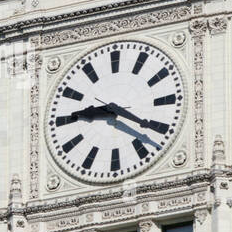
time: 9:20
